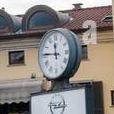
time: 11:46
